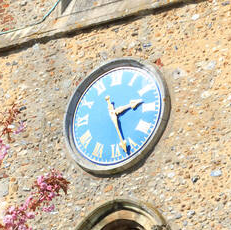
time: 2:26
